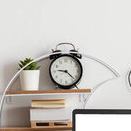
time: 9:22
